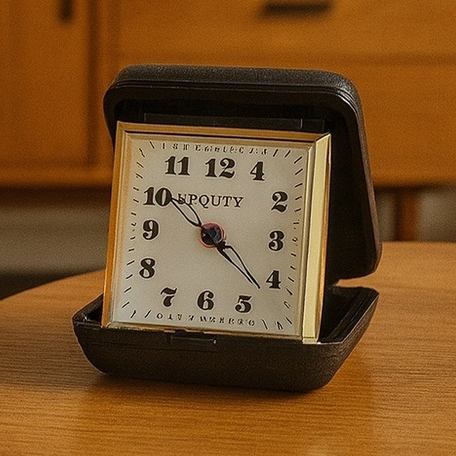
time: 10:21
